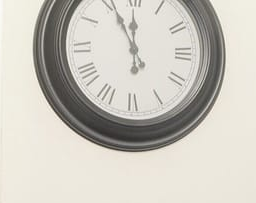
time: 11:55
